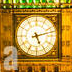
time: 5:12
